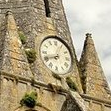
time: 12:41
